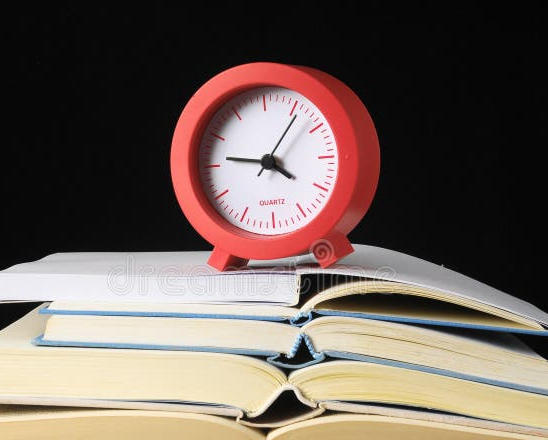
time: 4:06
